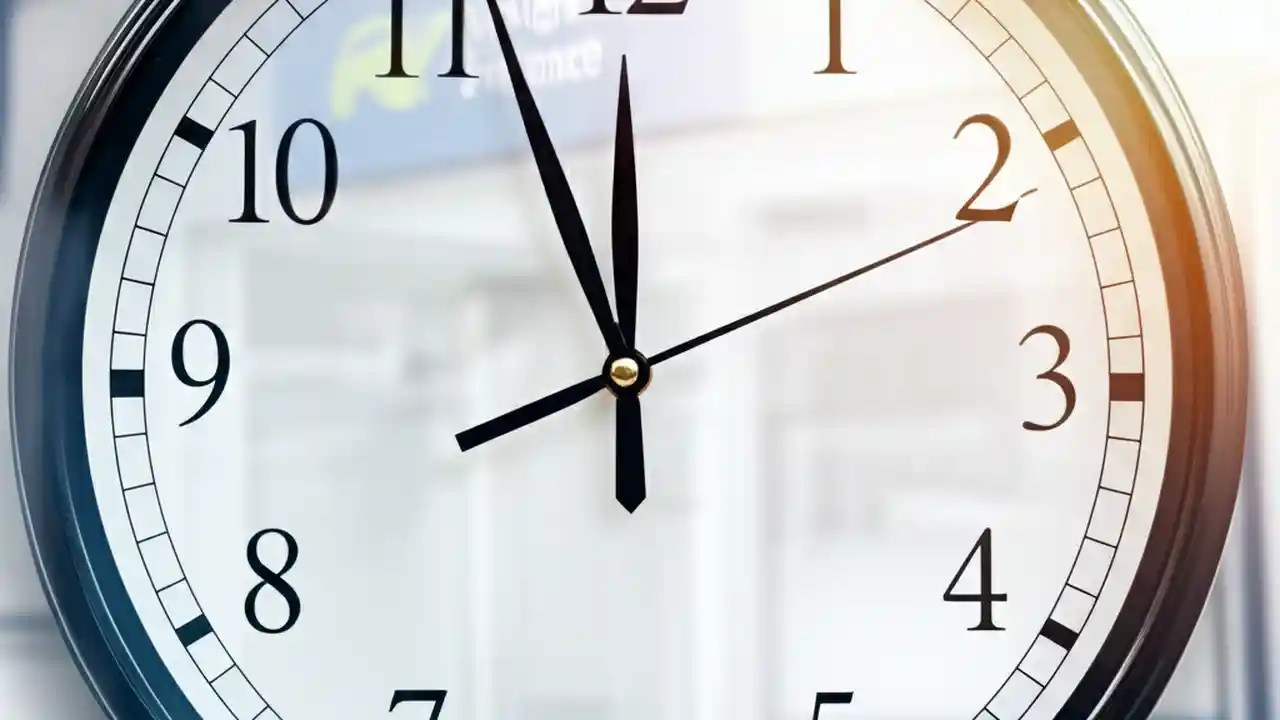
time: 11:56
